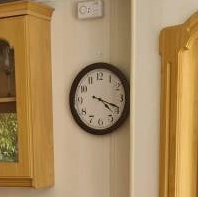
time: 4:18
